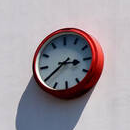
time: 3:39
